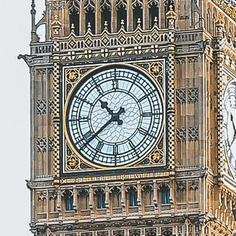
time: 10:38
